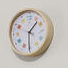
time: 1:30
